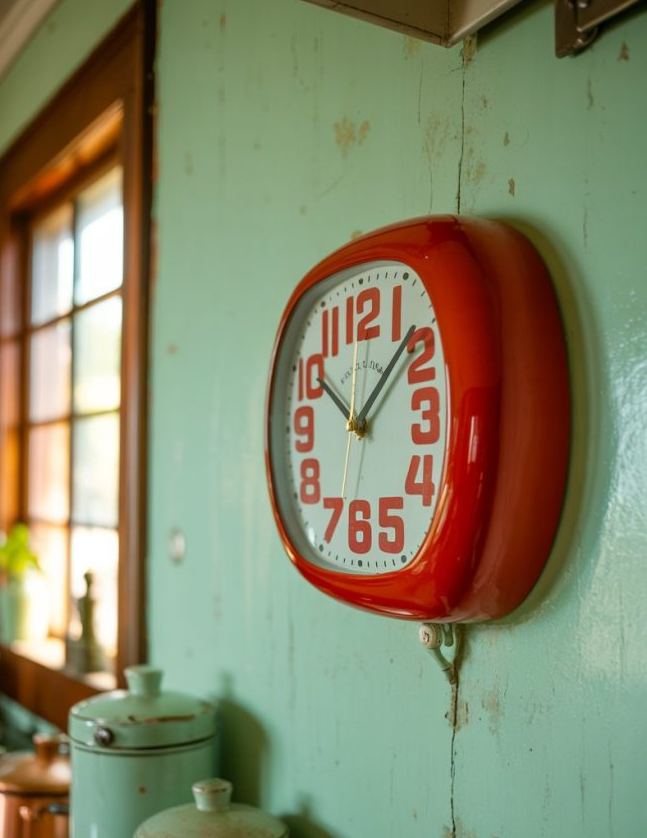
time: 10:07
